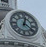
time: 12:20
